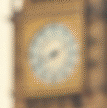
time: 8:40
